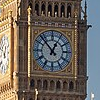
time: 12:53
